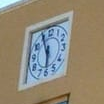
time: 5:55
